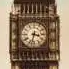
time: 3:32
